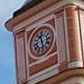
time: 11:28
